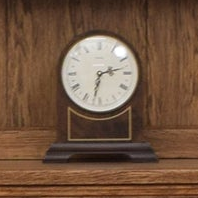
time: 2:32
